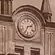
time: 2:34
